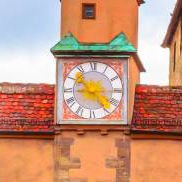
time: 8:52
